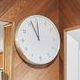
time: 11:56
